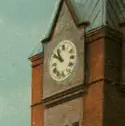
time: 10:50
